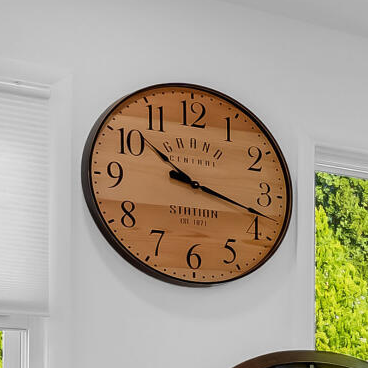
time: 10:17
